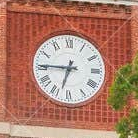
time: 6:45
